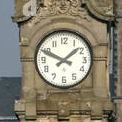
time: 1:49
